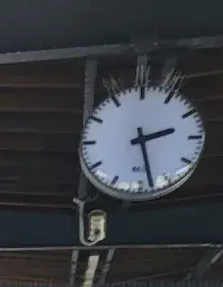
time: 2:28
